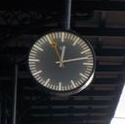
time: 12:12
